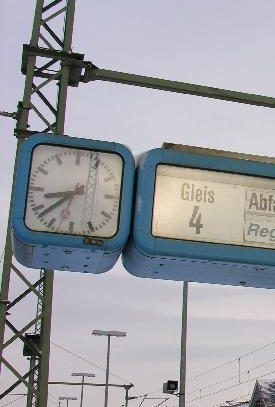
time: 8:38
